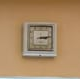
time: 3:13
